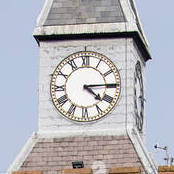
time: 4:14
